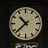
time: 10:37
